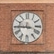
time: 3:45
